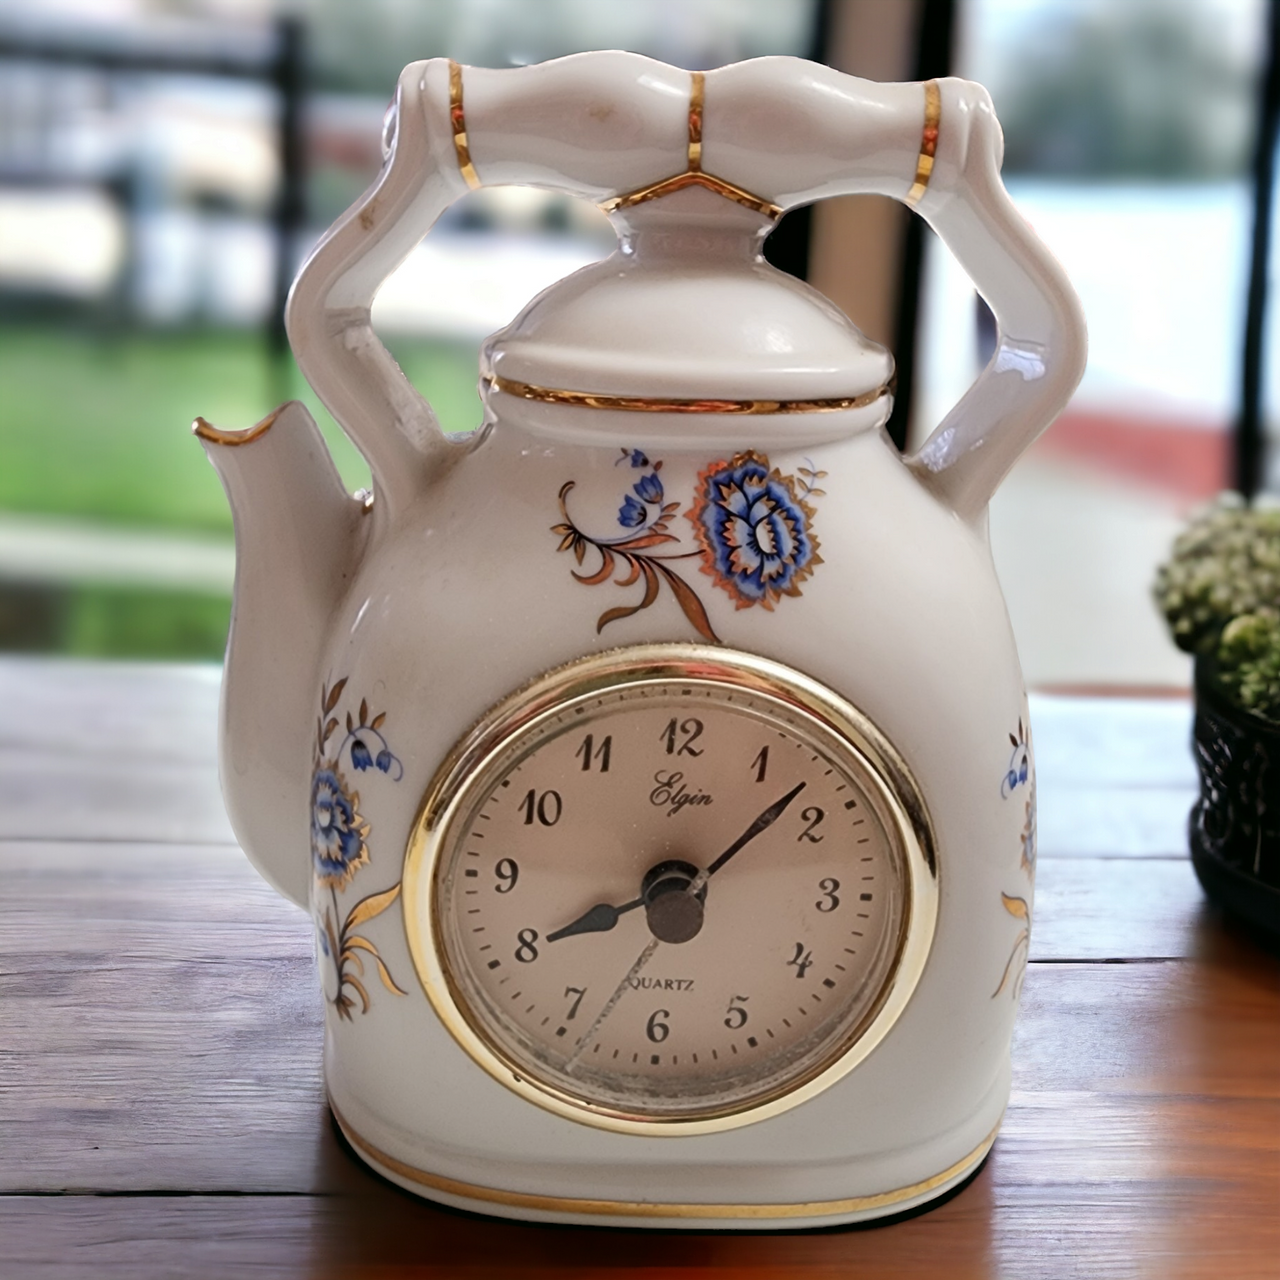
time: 8:07
